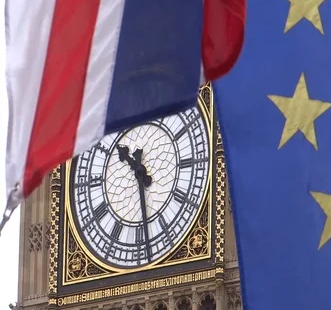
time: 10:28
